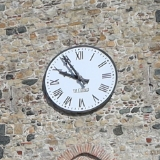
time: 9:54
